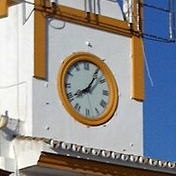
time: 8:06
